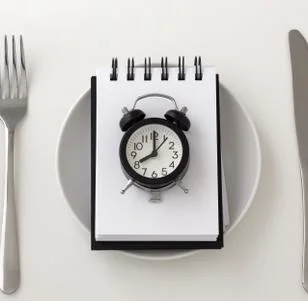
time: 8:00
